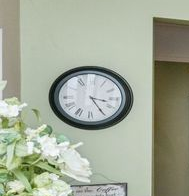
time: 3:24
